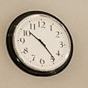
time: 10:23
